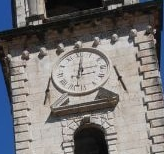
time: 3:01
